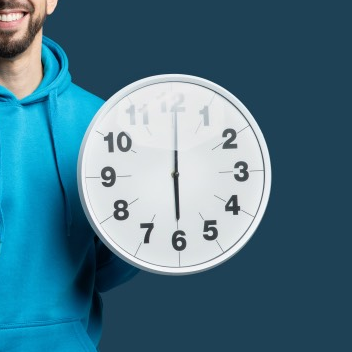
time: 6:00
